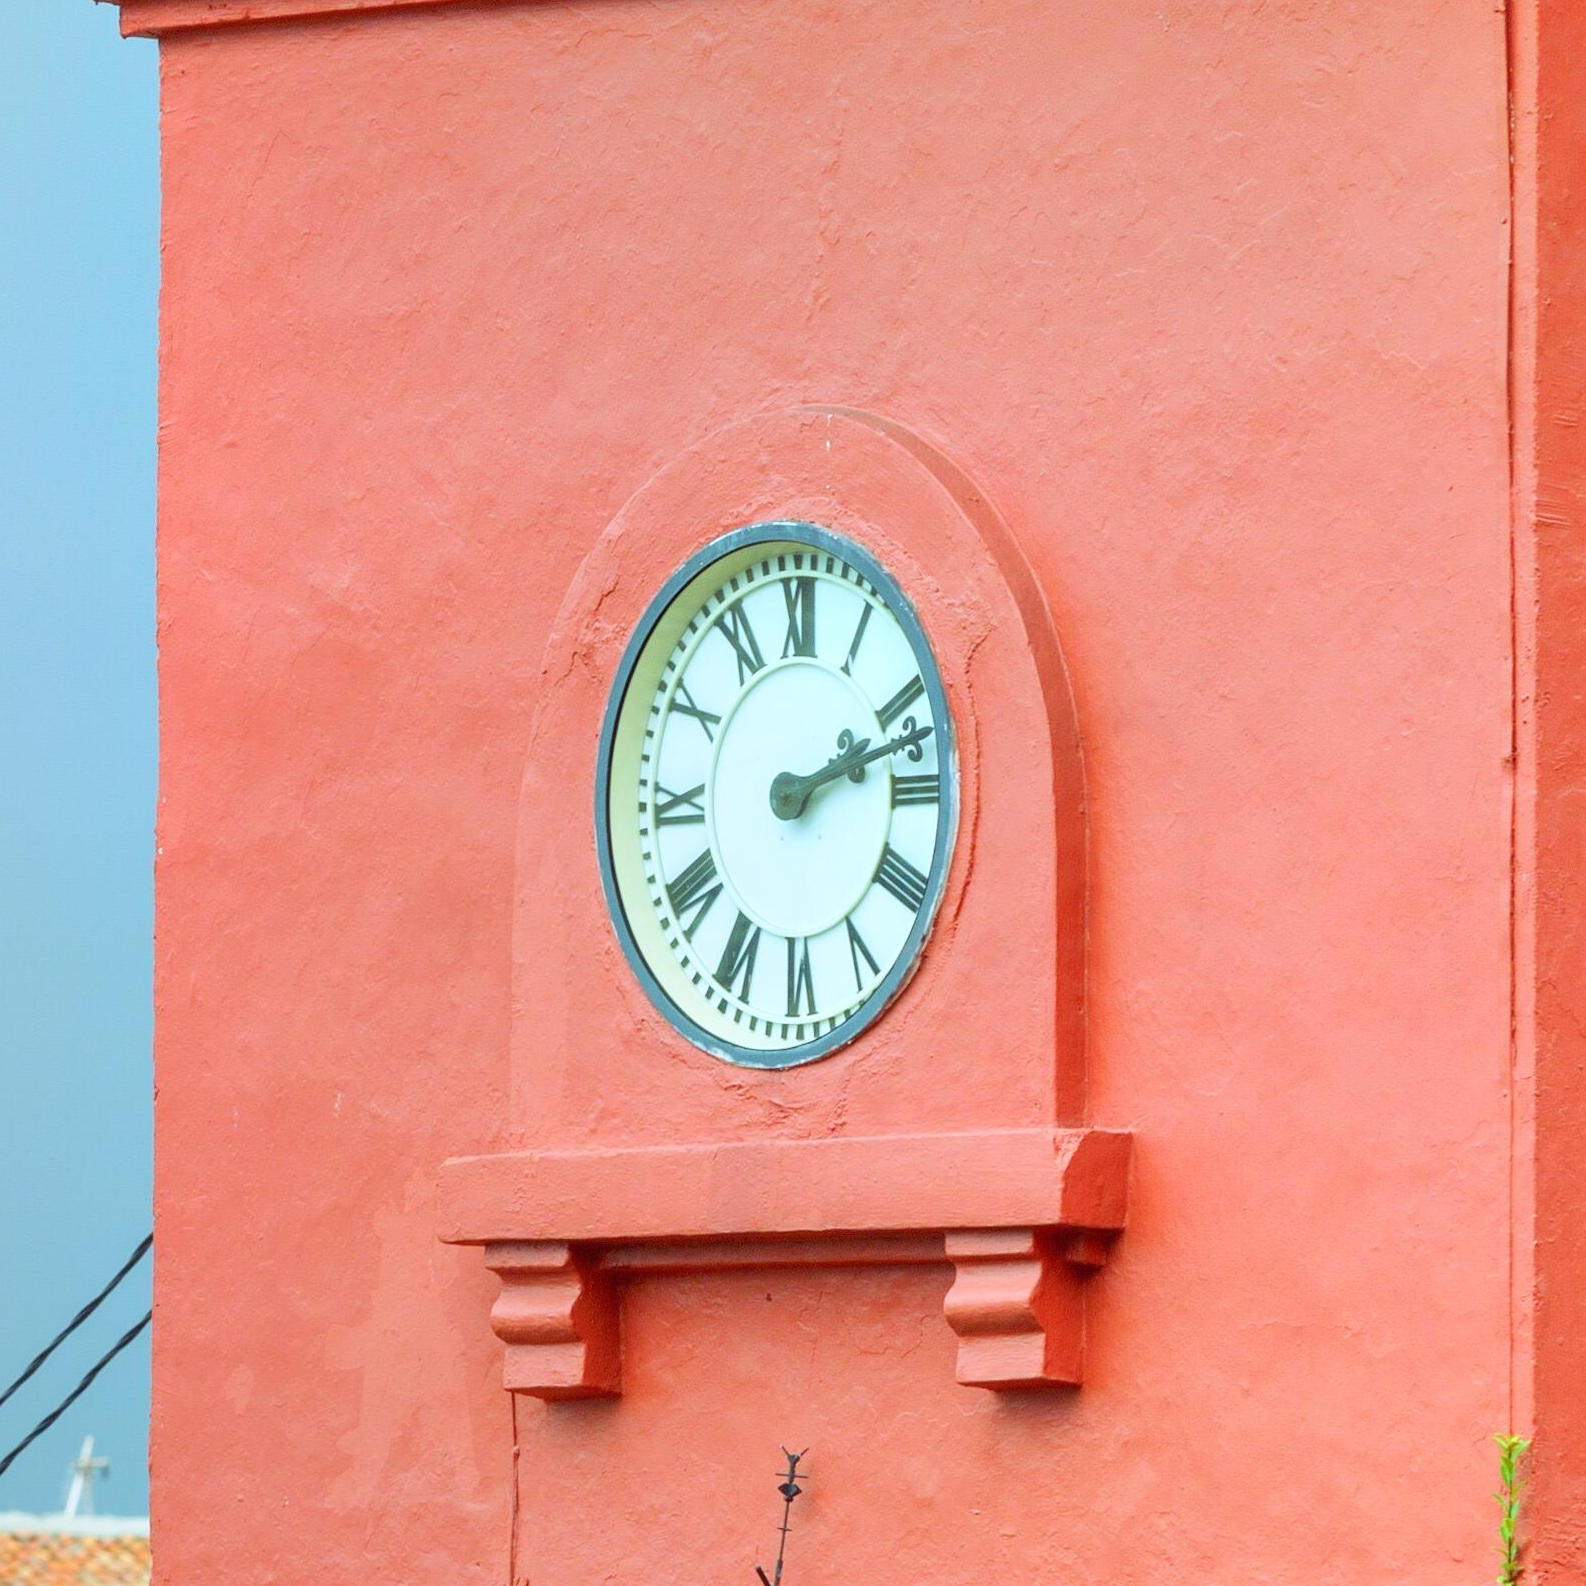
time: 2:12
